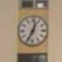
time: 12:34
